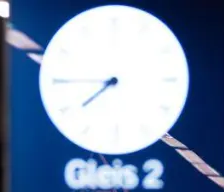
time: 7:45
